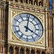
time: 4:01
